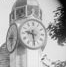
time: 9:28
